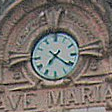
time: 7:21
